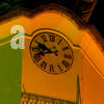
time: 9:42
